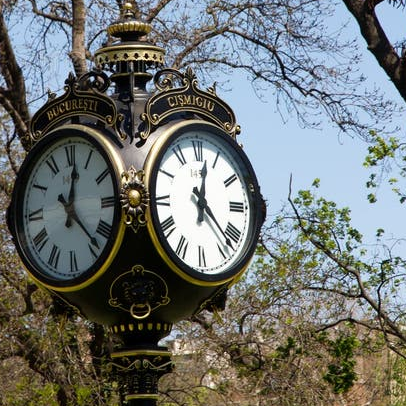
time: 12:22
